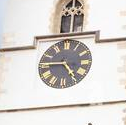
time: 4:45
